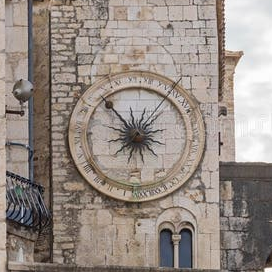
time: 12:53
